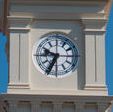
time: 9:34
